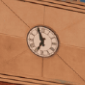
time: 6:56
